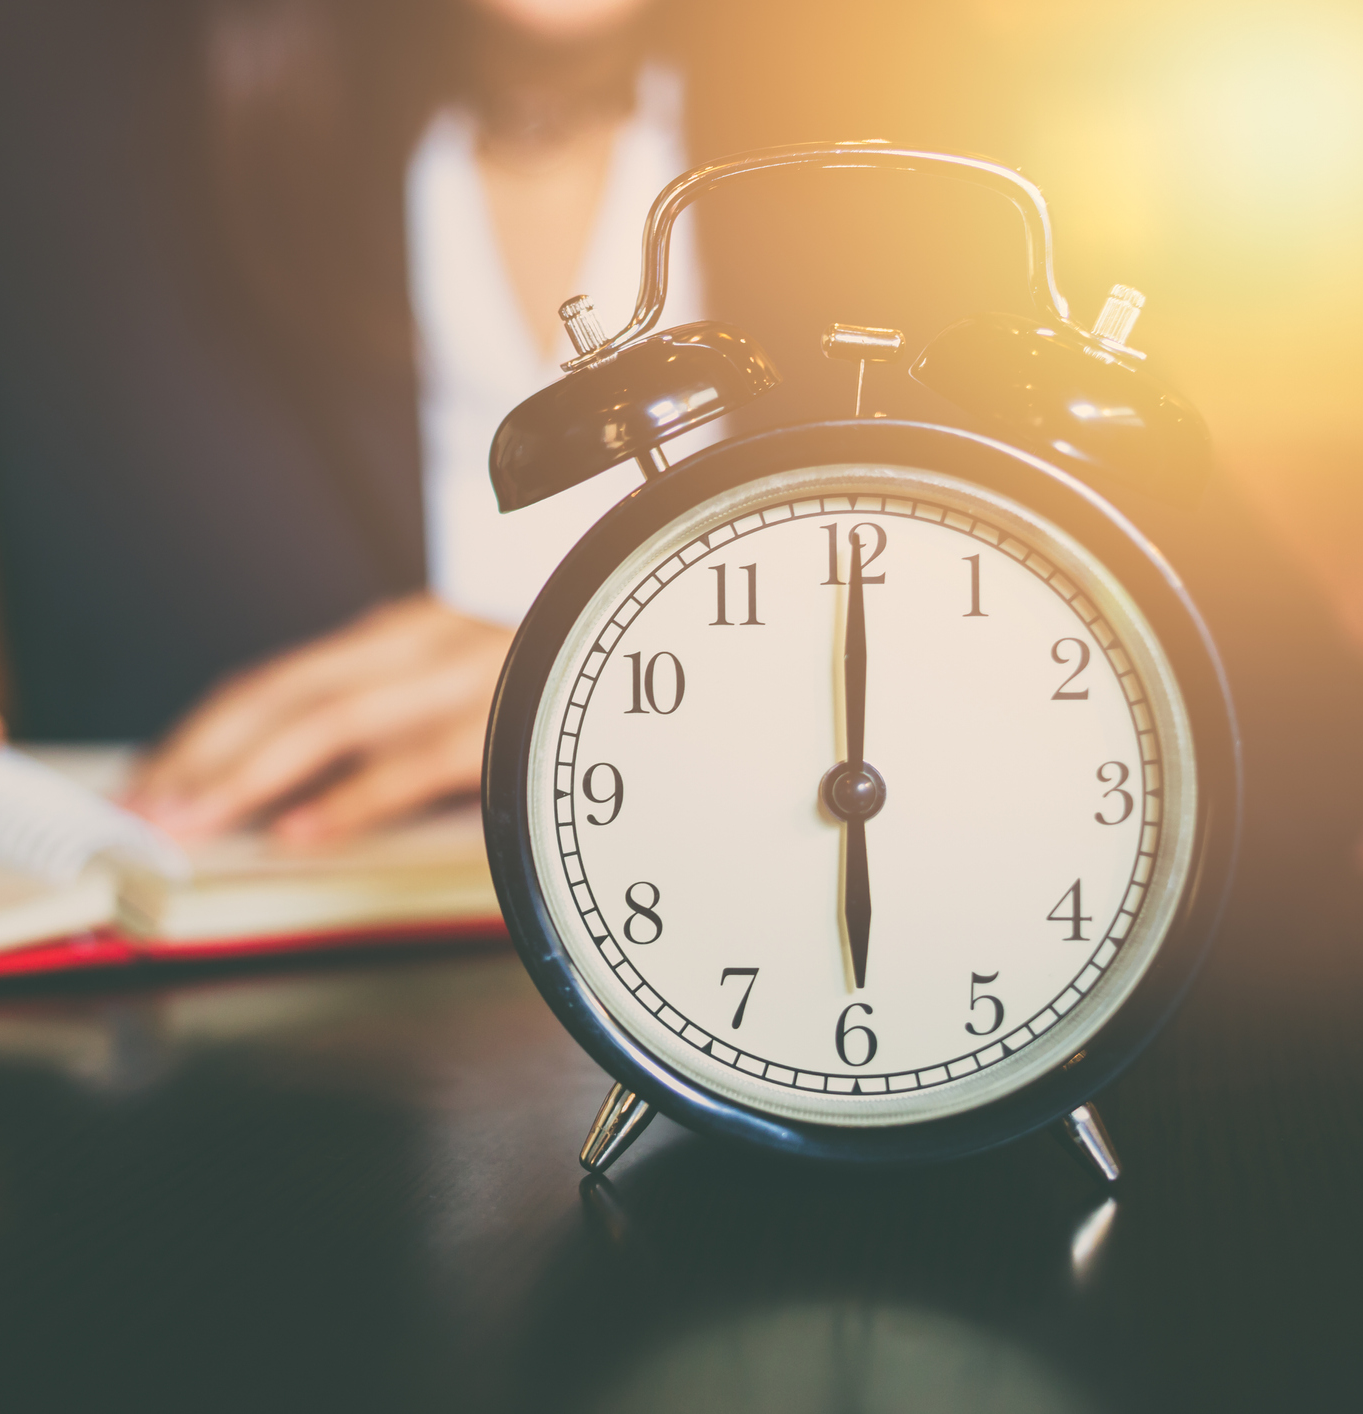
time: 6:00
